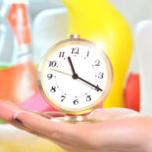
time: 11:19
